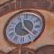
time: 11:21
